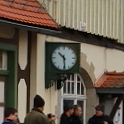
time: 10:29
